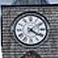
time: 4:08
